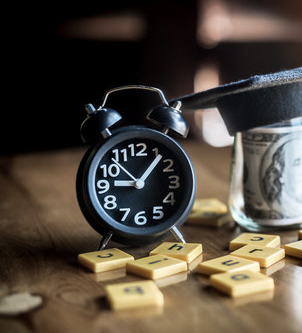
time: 9:06
